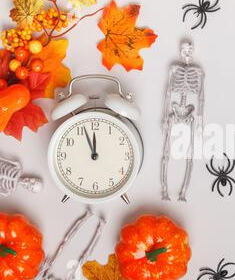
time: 11:56
